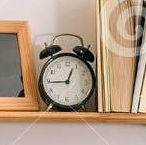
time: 12:44
